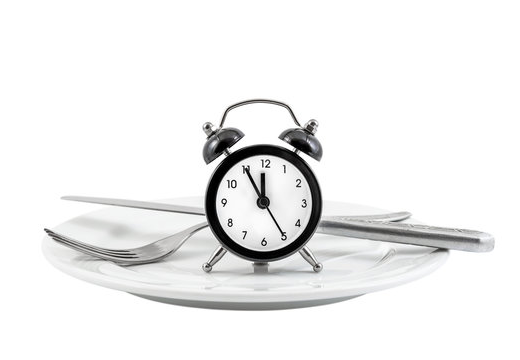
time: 11:55
